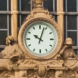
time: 10:03
